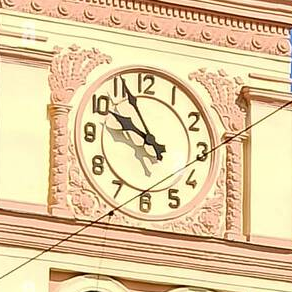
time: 9:55
